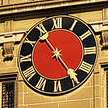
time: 4:53
